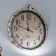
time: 11:47
